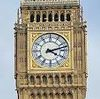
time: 4:12
